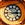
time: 2:45
